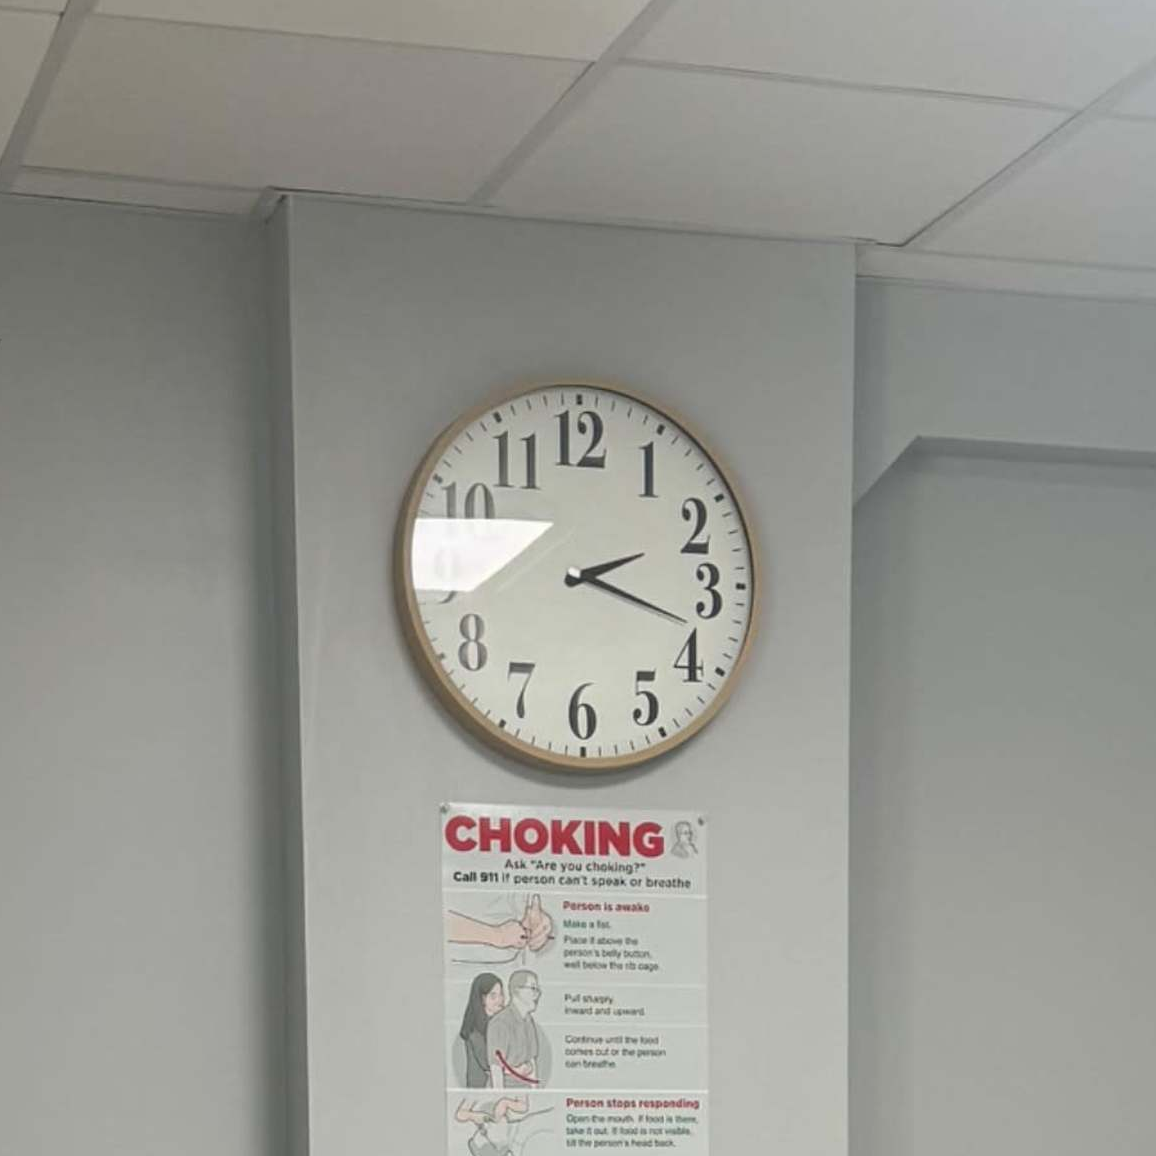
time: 2:18
